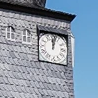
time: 12:02
